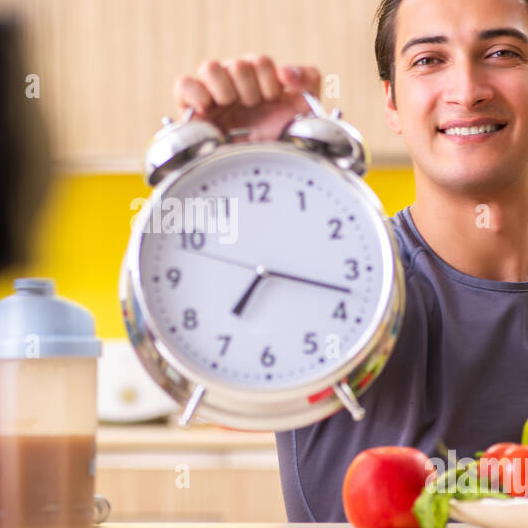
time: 7:17
